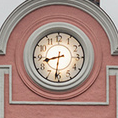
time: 8:31
